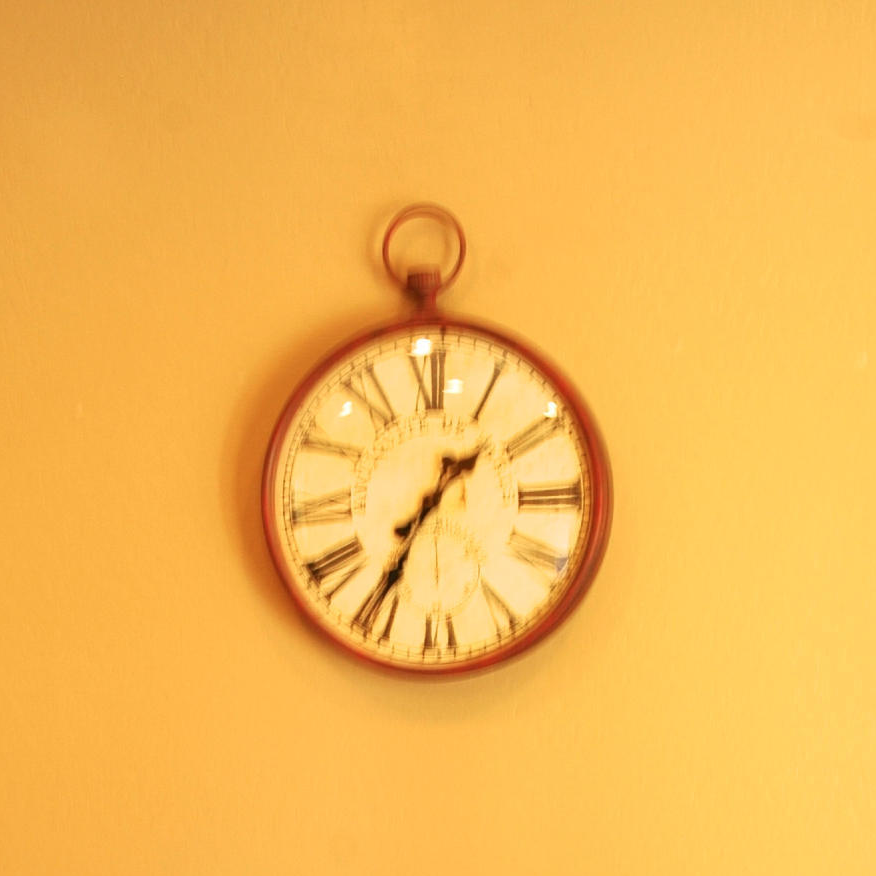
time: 1:35
